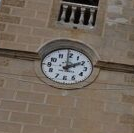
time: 1:59
